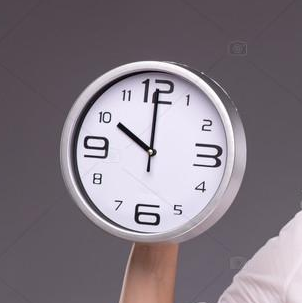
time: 9:59
